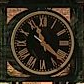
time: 11:21
